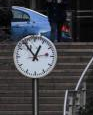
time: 12:53
